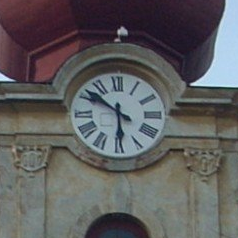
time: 5:51
